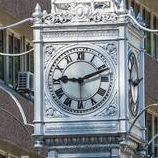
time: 9:11
